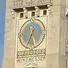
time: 5:33
